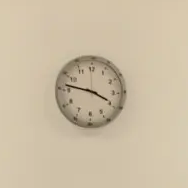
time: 3:46
